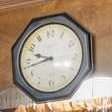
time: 9:43
